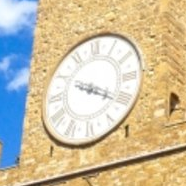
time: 4:20
